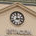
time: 2:59
